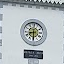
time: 8:30
